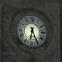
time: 6:25
